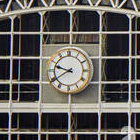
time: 9:39
